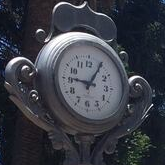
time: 9:05
